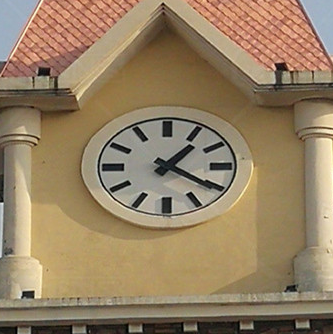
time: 1:20
